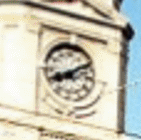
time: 8:09
